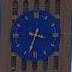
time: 3:33
